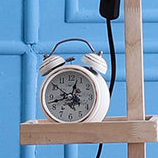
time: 12:42
